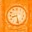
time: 8:27
